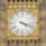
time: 4:18
